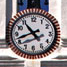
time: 10:42
